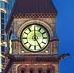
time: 4:59
